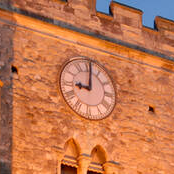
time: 9:00
